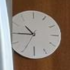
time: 10:45
